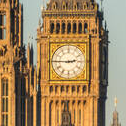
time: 2:45
